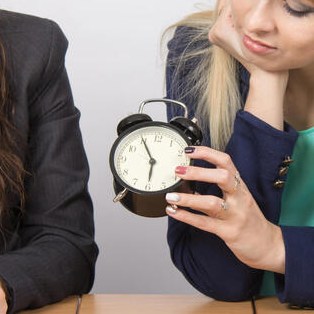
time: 5:55
